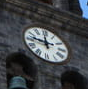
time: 11:46
